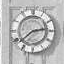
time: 2:38
